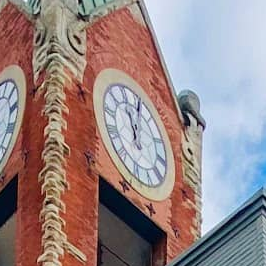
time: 12:05
